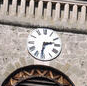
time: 2:31
